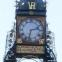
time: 2:32
